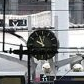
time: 9:56
